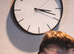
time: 3:18
